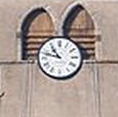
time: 10:47
